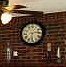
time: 6:13
